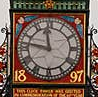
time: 11:46
